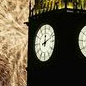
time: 12:11
